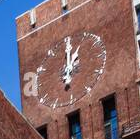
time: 1:00
